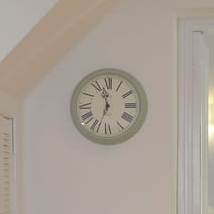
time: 11:33
